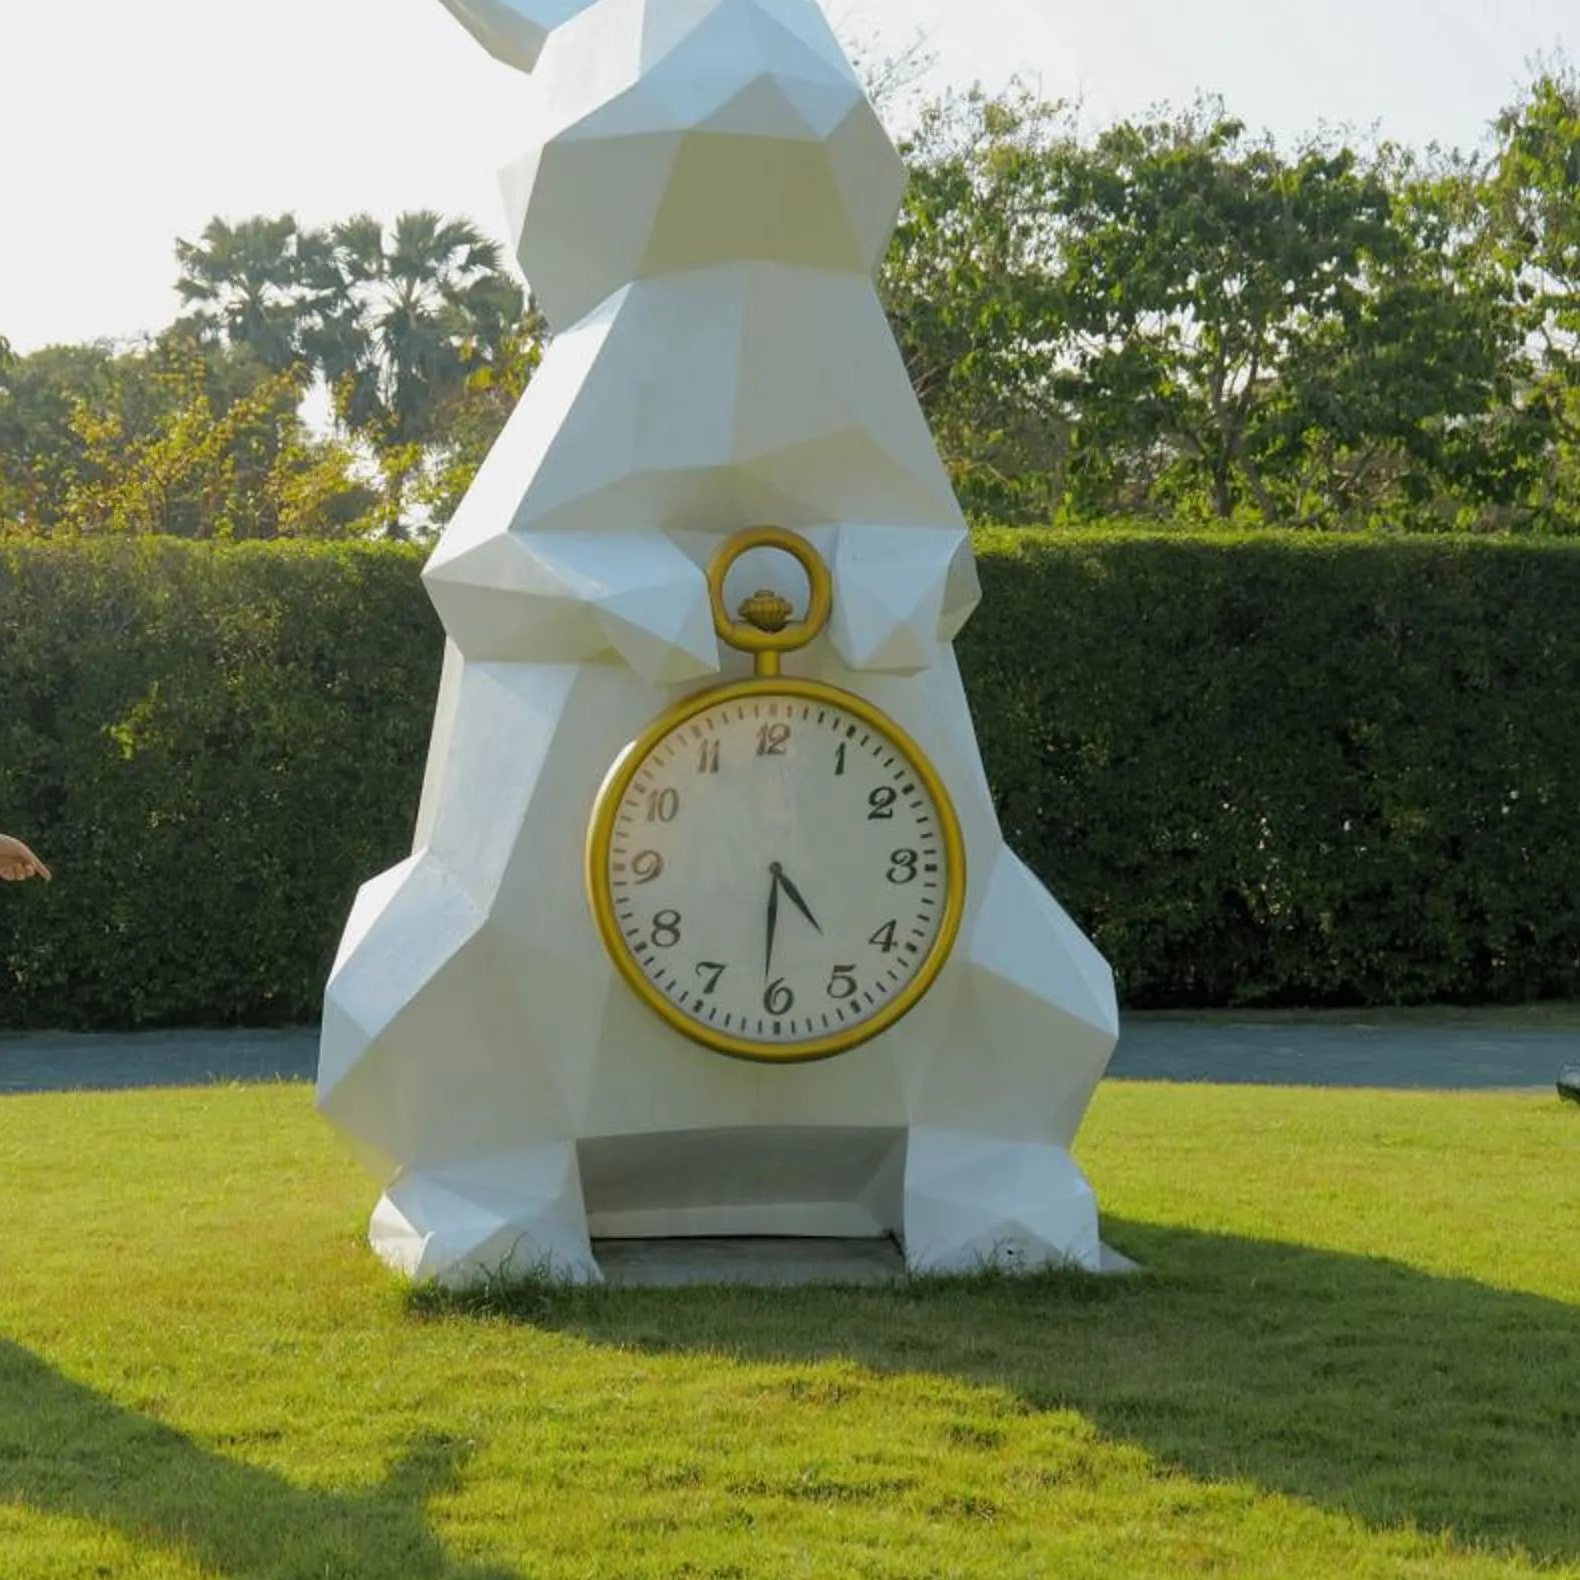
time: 4:31
